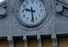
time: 9:28
